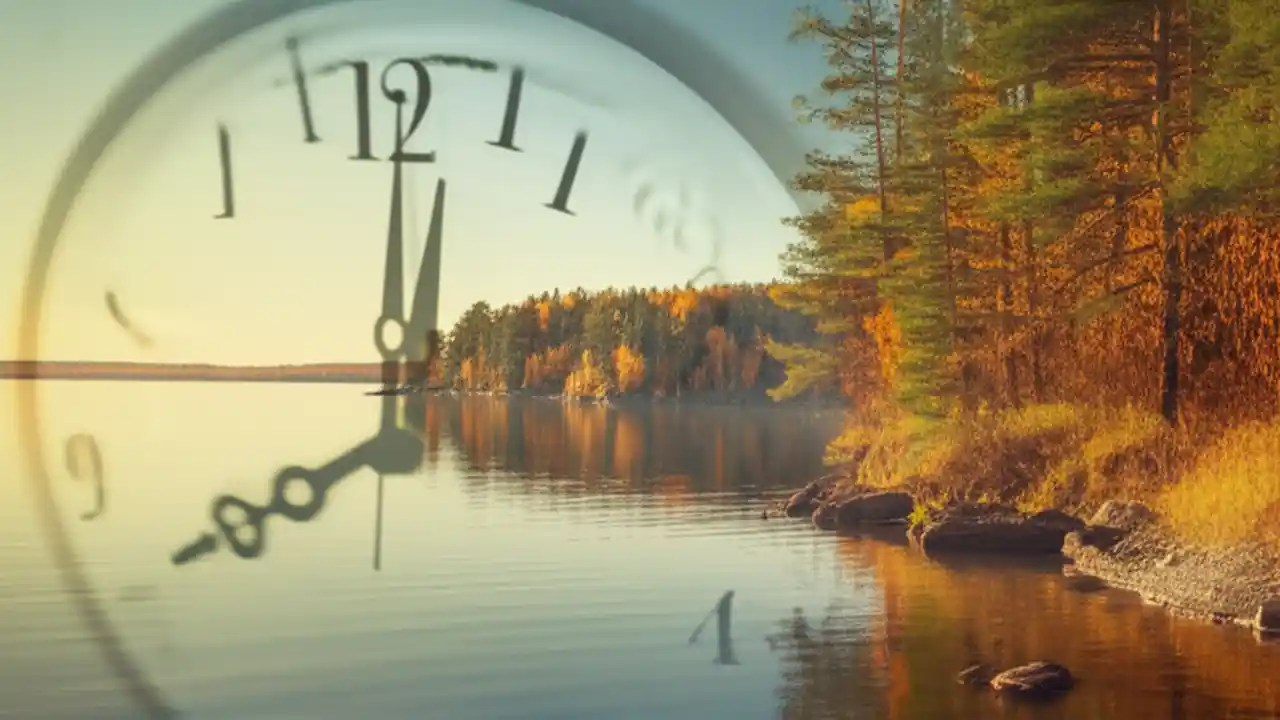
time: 8:01
